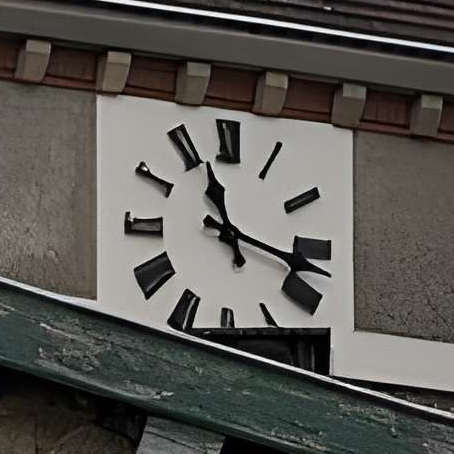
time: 11:17
